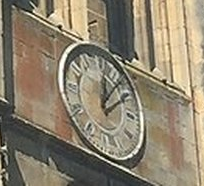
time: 12:06
